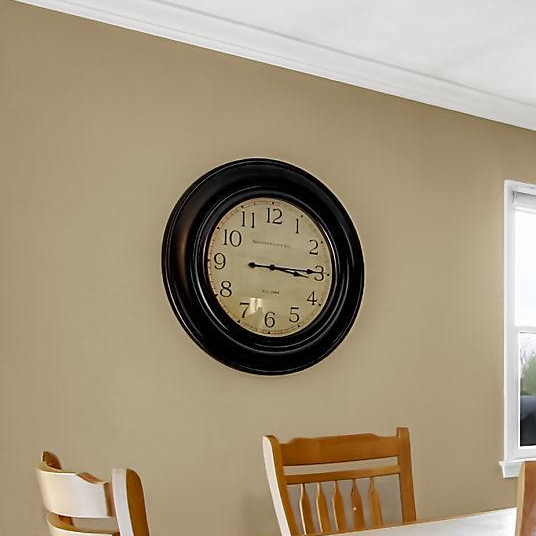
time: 3:15
